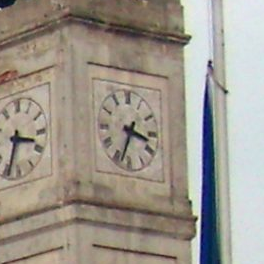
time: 3:33
